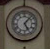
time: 5:06
